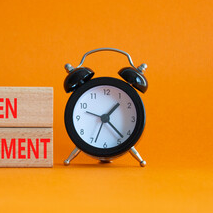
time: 1:22
